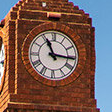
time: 11:15
